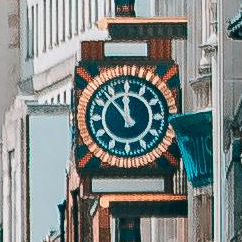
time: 11:52
